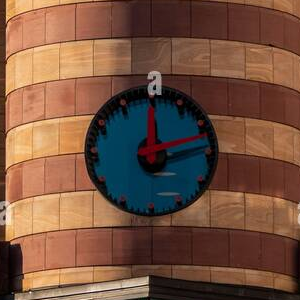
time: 12:12
